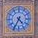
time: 4:34
